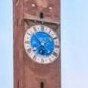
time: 6:52
